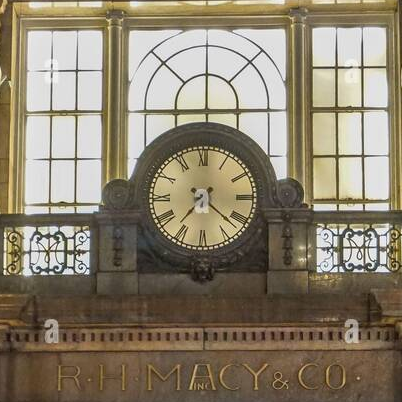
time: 7:21
